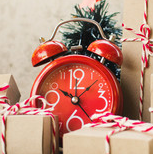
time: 10:07
